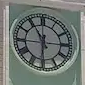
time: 5:54
